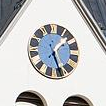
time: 1:26
